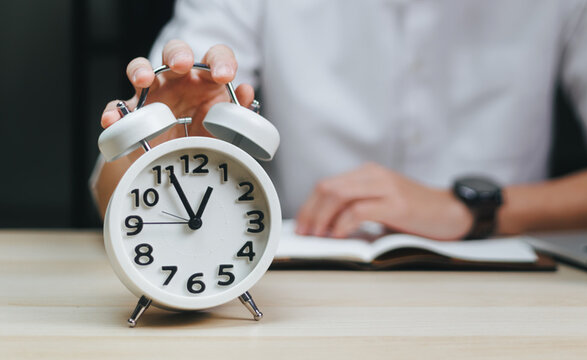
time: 12:55
